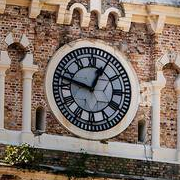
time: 12:47
